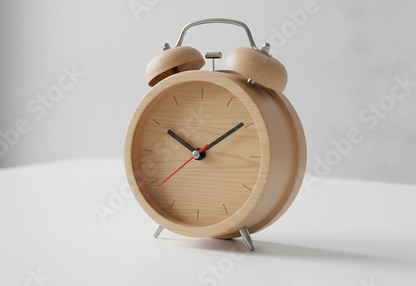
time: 10:09
